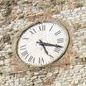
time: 5:18
